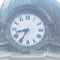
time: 8:34
